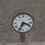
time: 3:34
